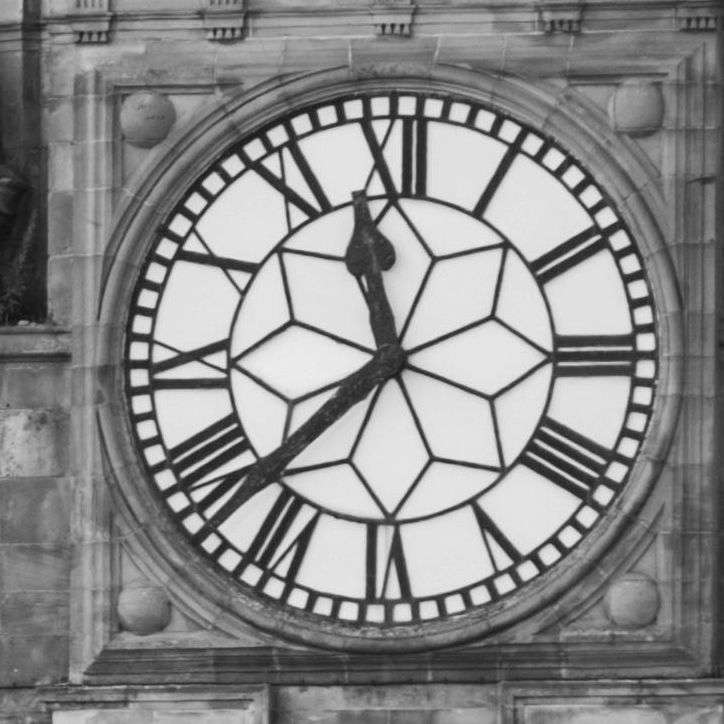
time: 11:37
